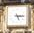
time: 5:14
